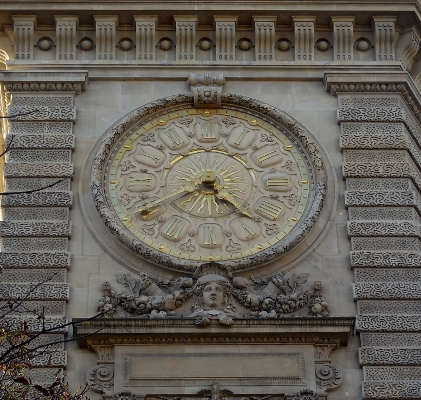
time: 4:38
